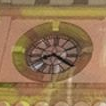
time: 8:20
